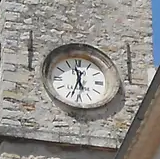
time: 11:33
